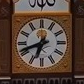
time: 6:41
